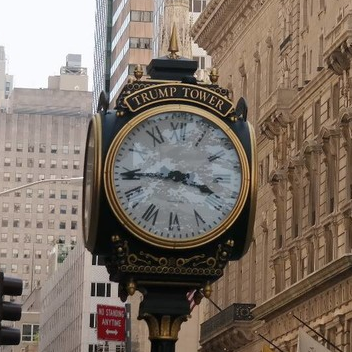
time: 3:44
